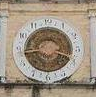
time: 3:43
